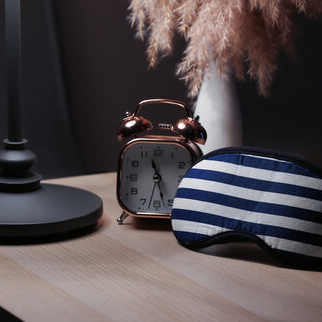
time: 11:32
